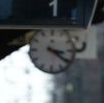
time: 3:21
